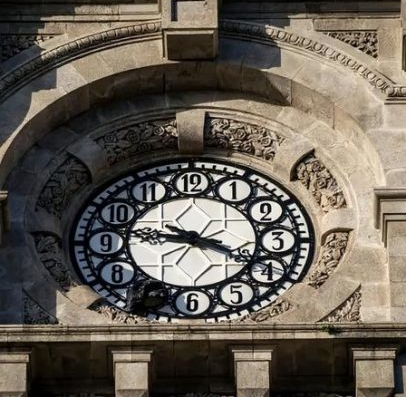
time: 9:20
